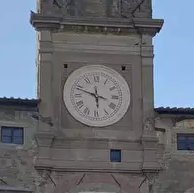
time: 5:48
